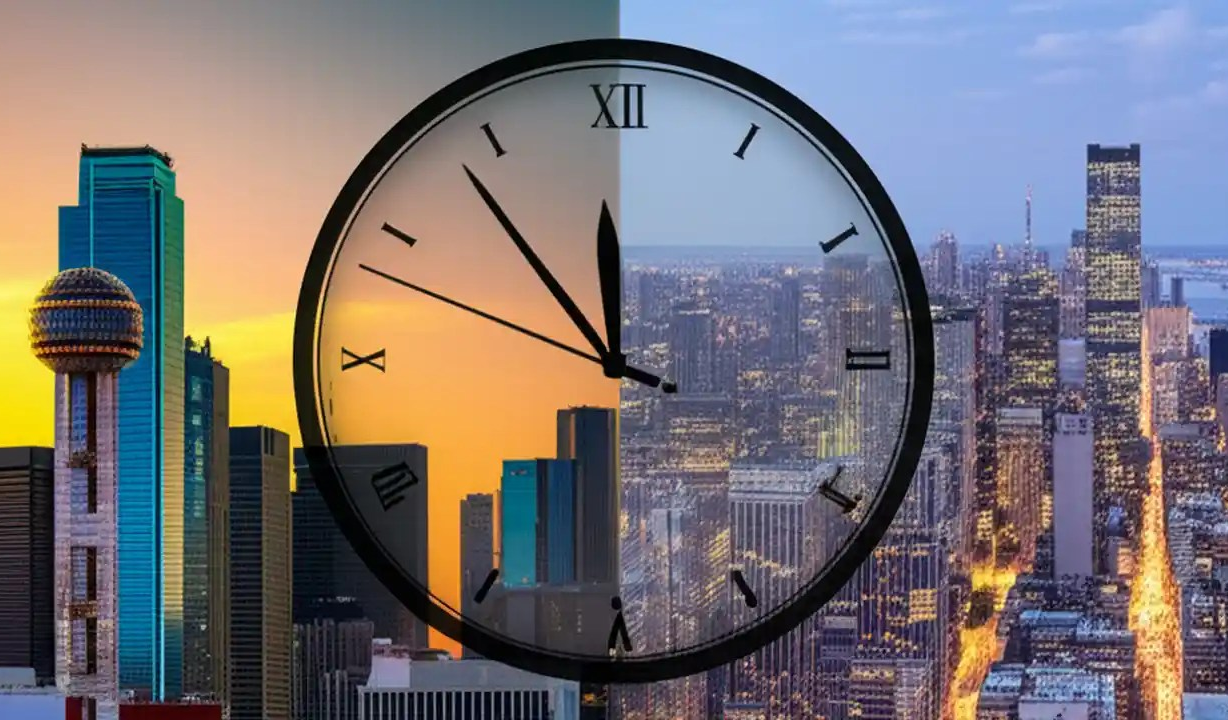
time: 11:53
